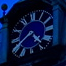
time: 4:39
